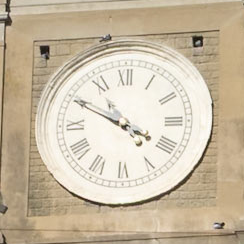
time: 3:49
